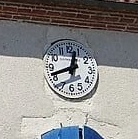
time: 12:41
